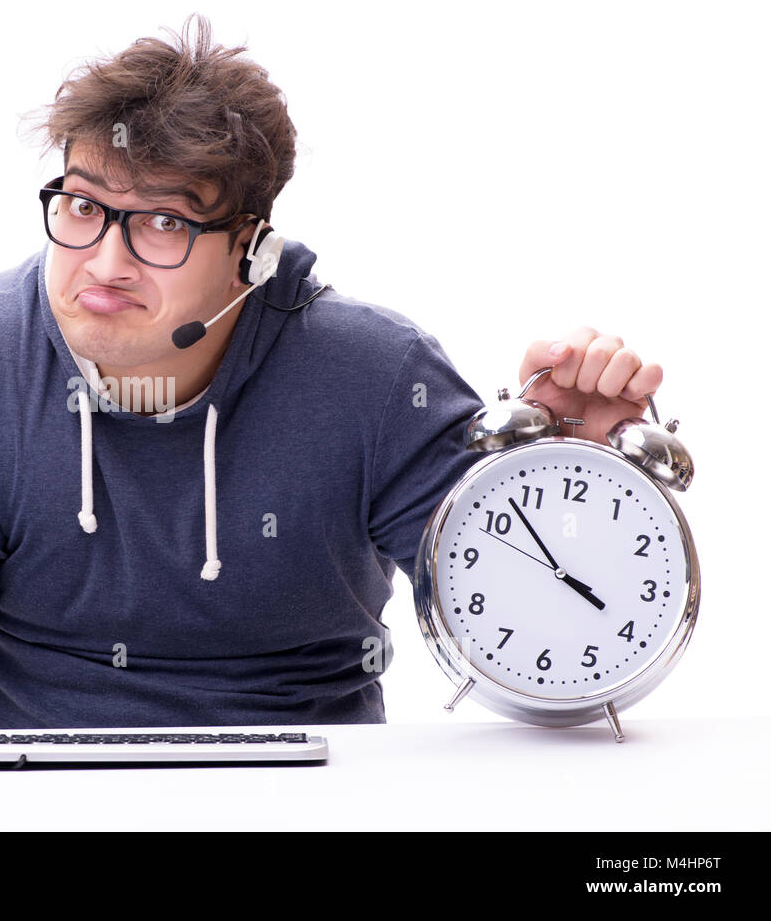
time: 3:52
